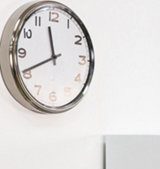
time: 11:40
